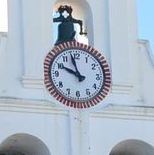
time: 9:57
